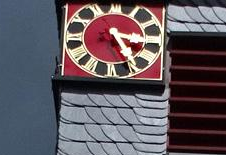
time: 3:24
